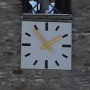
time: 1:53
